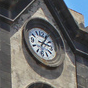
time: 3:05
